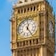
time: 12:24
